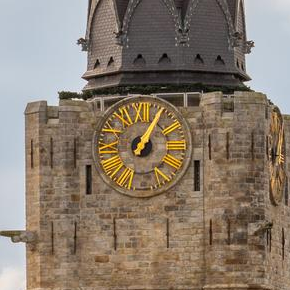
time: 1:05
